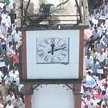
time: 12:12
